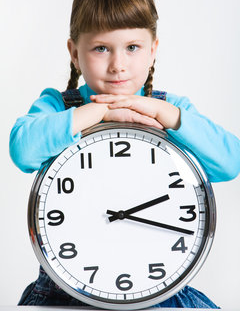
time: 2:17
